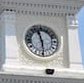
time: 11:29
